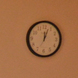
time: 12:03
